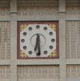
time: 6:29
